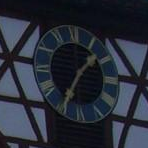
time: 1:34
